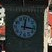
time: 12:16
